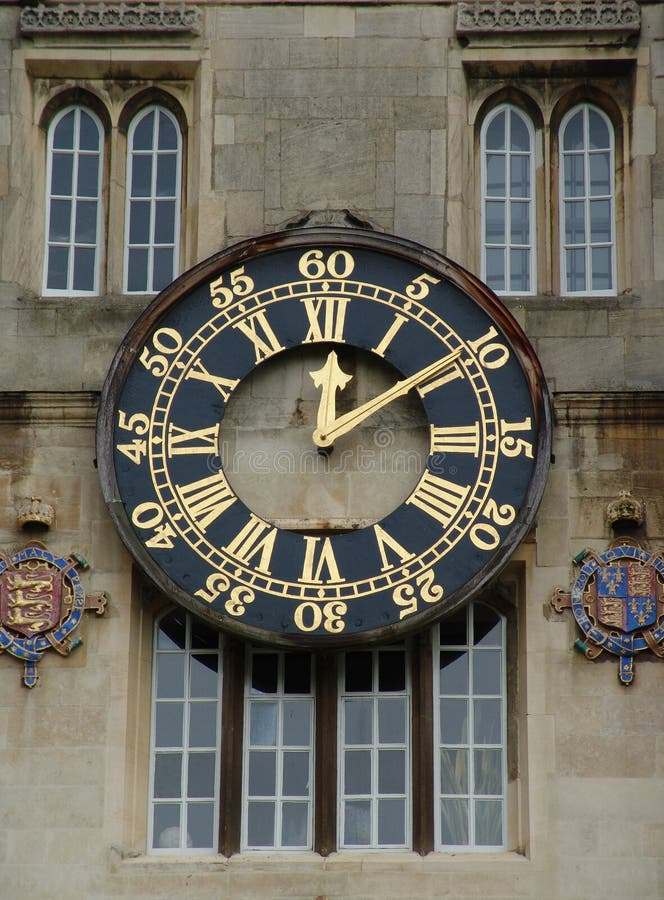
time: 12:09
